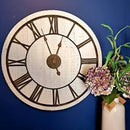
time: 12:56
